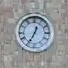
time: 12:34
